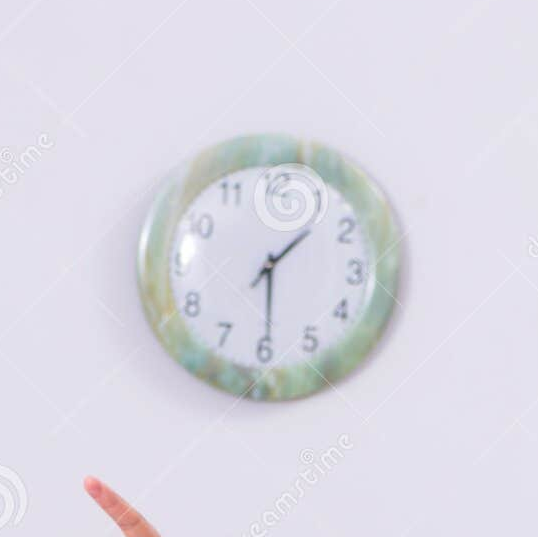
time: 1:29
